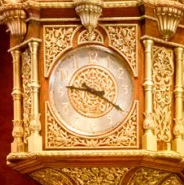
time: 9:20
